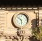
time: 5:51
